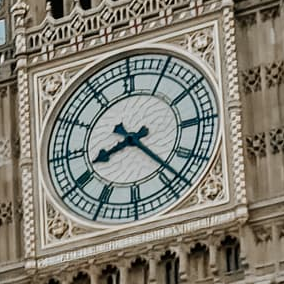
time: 8:23
